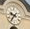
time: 9:36
